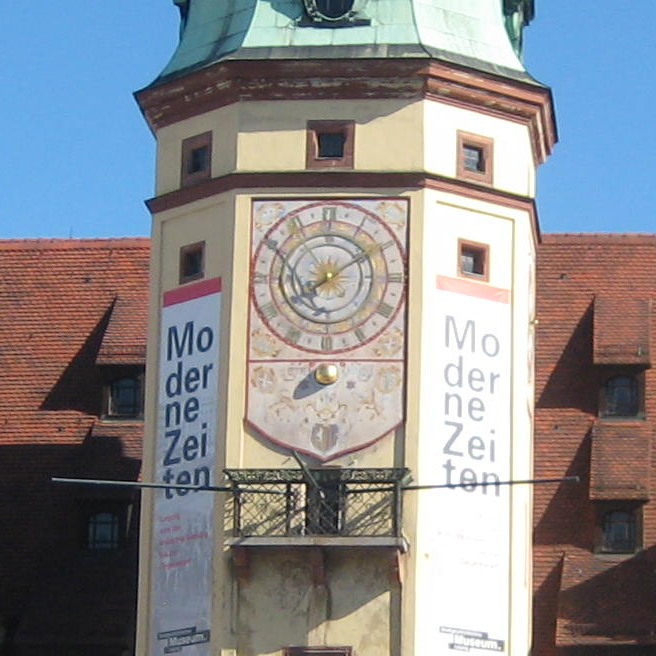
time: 8:09
